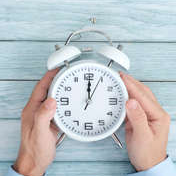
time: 12:04
